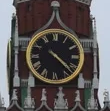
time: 4:22
